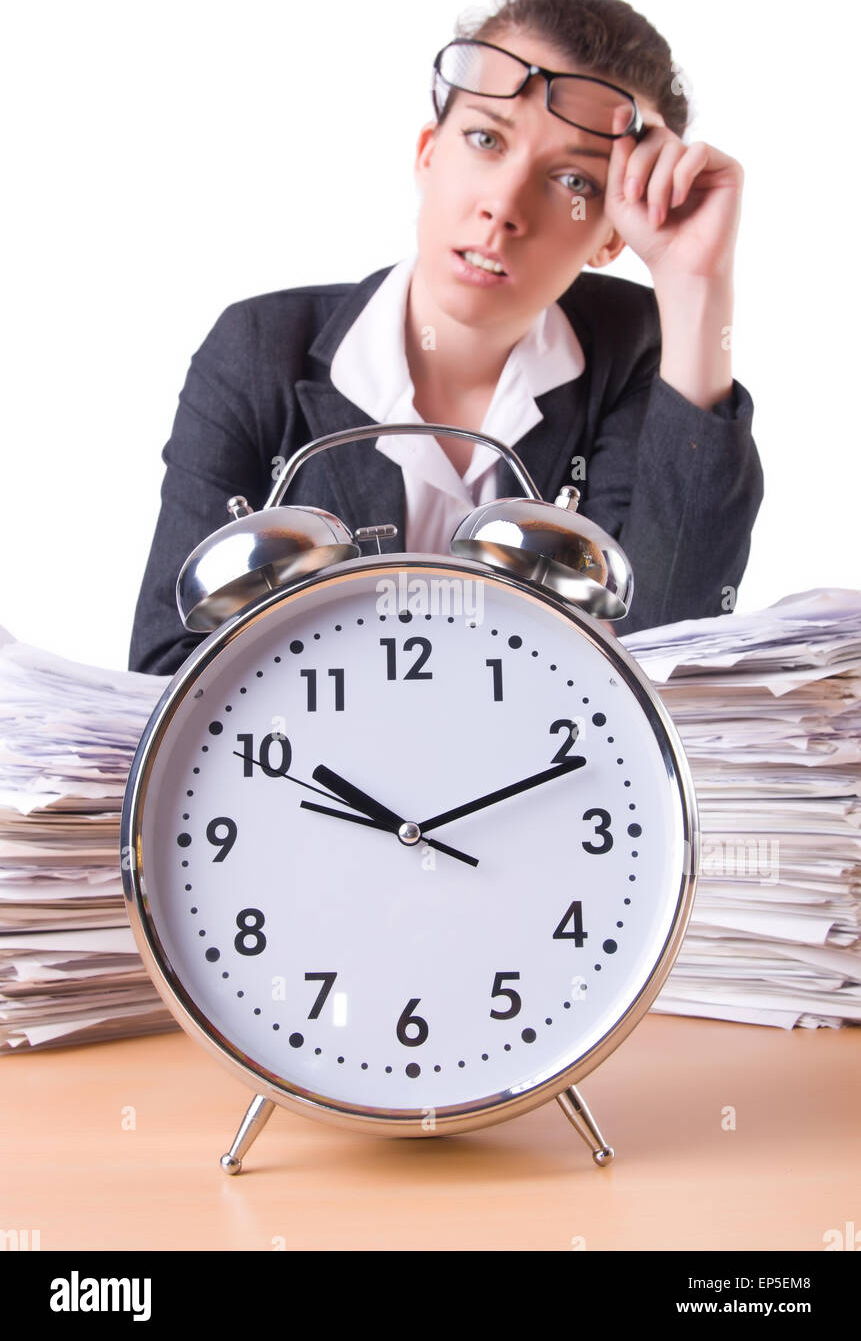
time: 10:11
